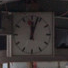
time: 12:03
